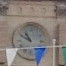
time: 10:50
